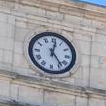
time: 12:23
